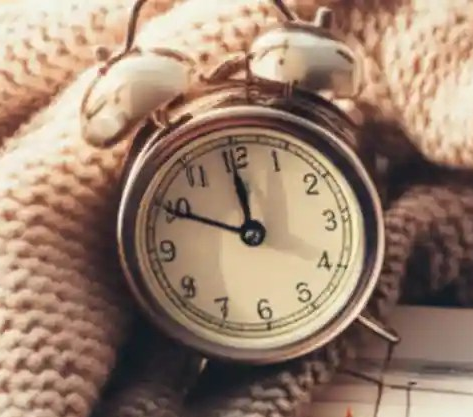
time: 11:49
